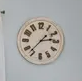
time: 2:37
